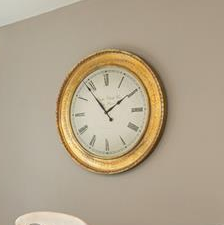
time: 1:53
